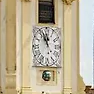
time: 11:56
